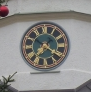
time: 7:20
